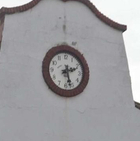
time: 2:27
